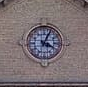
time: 4:04
